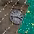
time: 3:43
